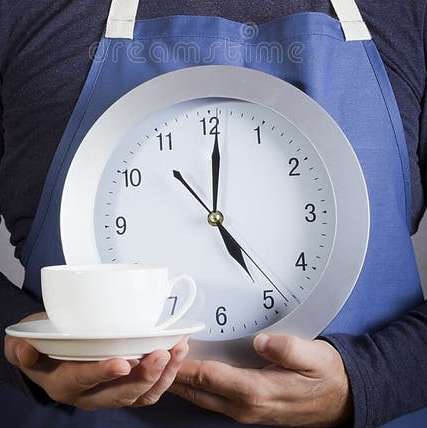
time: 5:00
